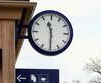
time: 11:29
